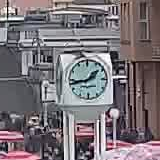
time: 1:43
